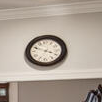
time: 3:48
